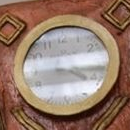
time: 4:16
